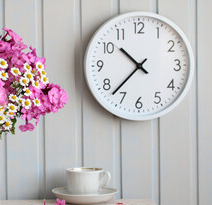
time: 10:37
